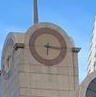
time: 6:15
